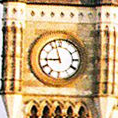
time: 8:57
